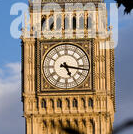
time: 5:16
